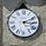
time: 3:11
